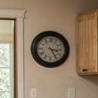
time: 3:24
